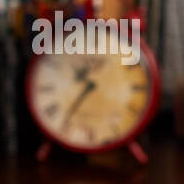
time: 10:36
